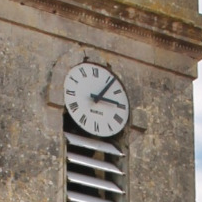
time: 3:06
